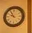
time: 9:54
